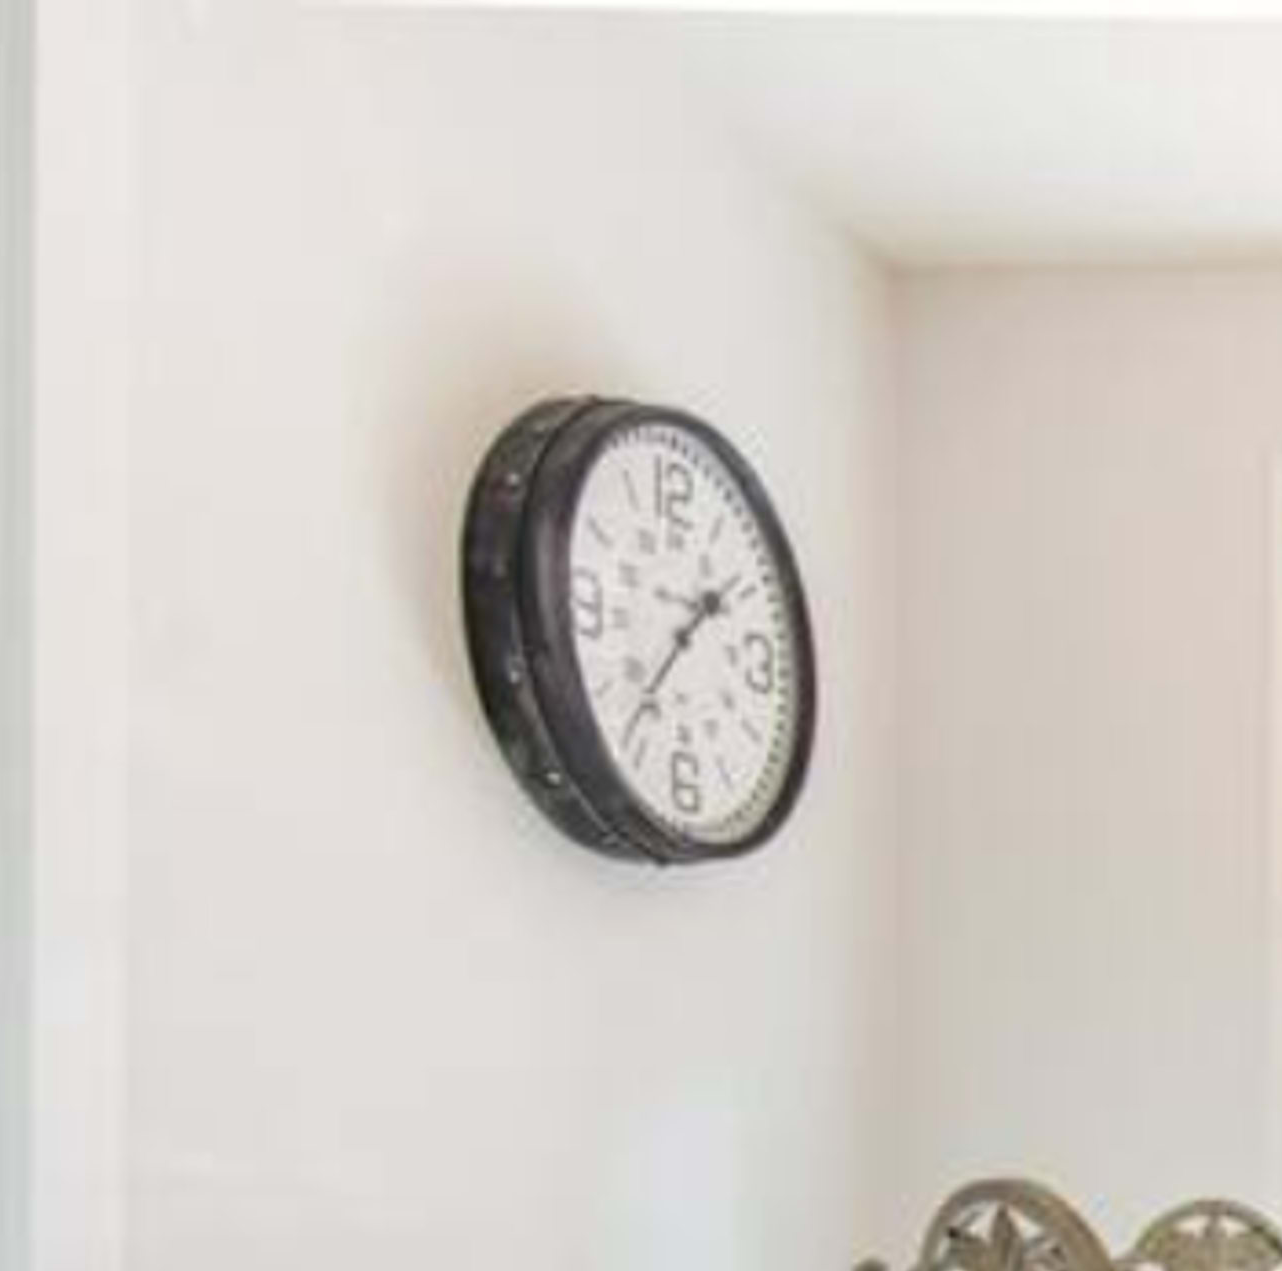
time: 1:37
